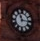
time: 11:15
